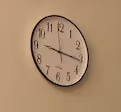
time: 9:15
